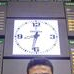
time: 8:32
